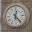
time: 12:23
